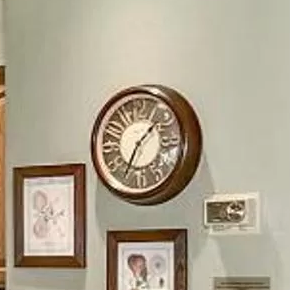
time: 1:34
